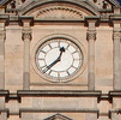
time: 12:37
